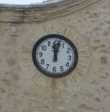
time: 12:02
